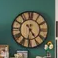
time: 4:31
